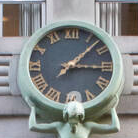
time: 3:07
